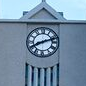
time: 8:11
